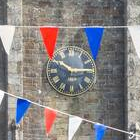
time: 10:14
